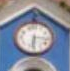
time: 6:15
